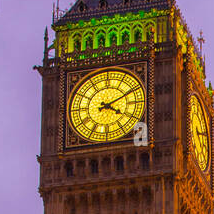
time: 4:10
